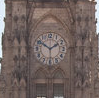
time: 1:50
